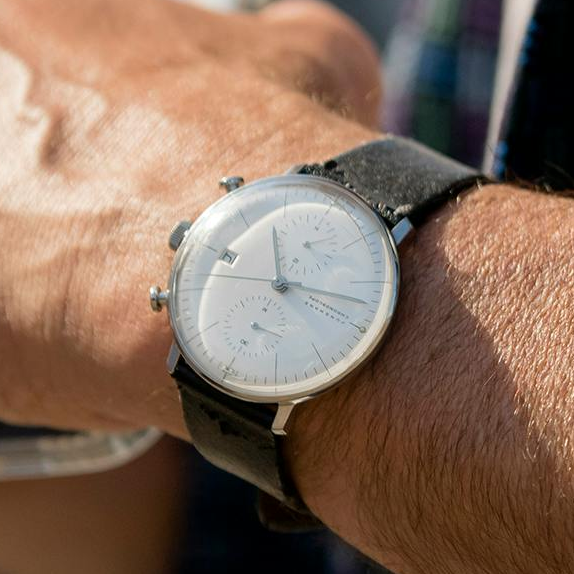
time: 11:17
